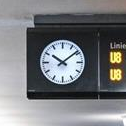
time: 10:08
